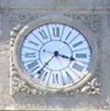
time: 3:36
